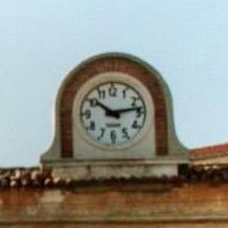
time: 10:13
